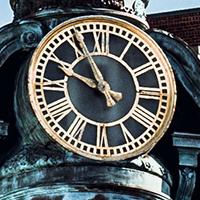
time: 10:48
